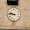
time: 9:45
